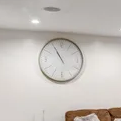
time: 10:55
